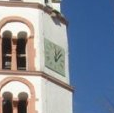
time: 12:07
